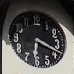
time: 6:18
